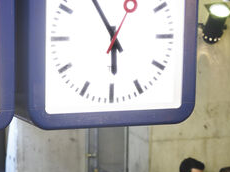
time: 5:54
